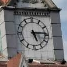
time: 5:14
